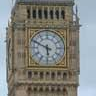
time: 5:49
